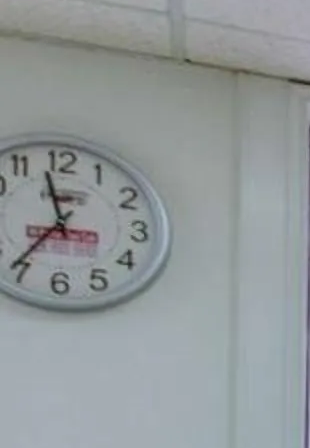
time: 11:36
